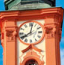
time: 8:01
